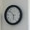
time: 5:51
